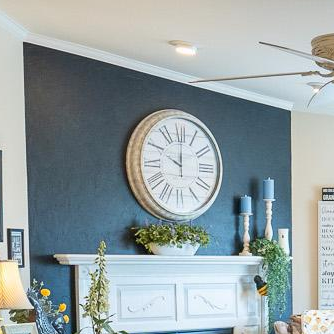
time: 10:00
